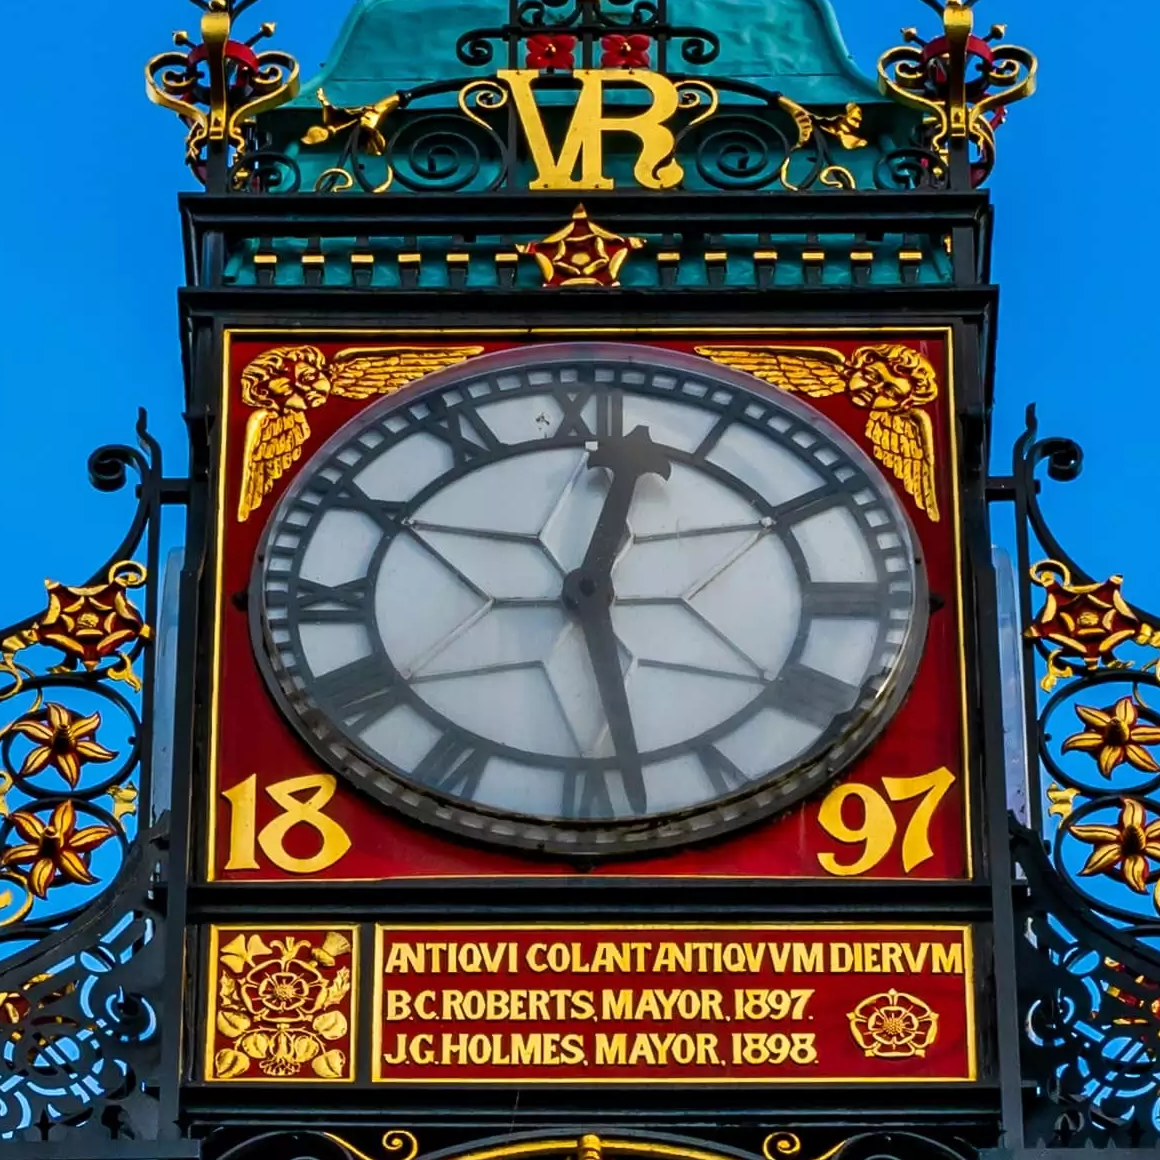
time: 12:27
